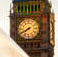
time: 7:40
